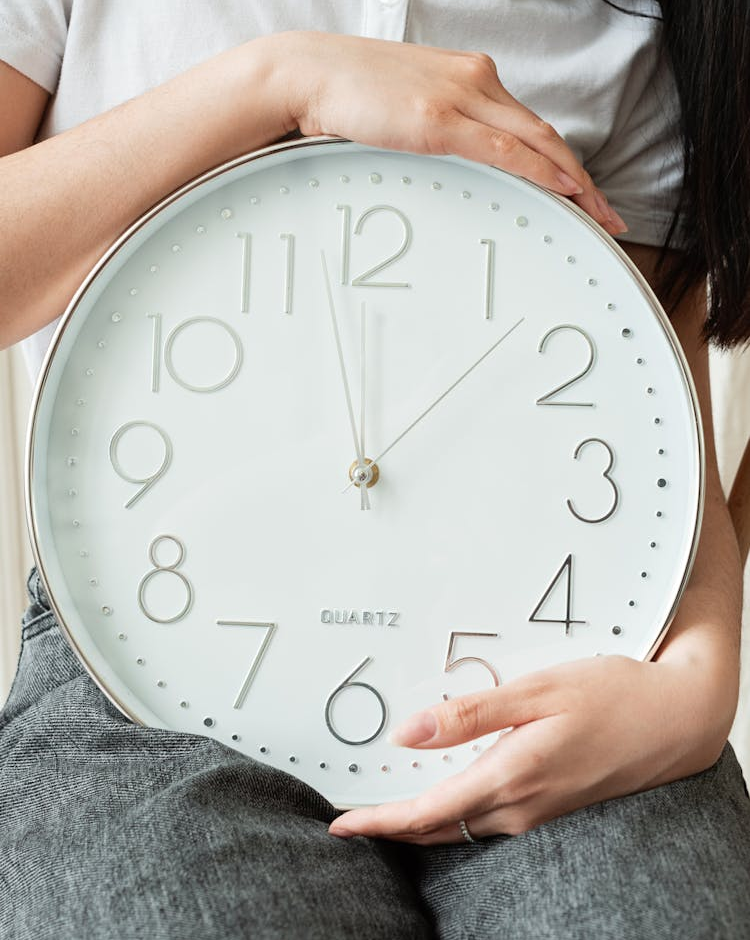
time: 12:07
